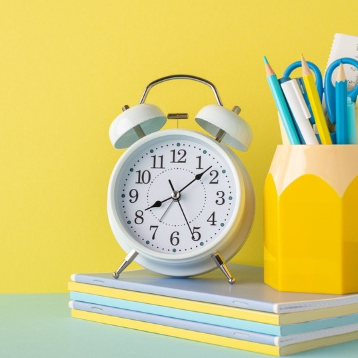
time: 8:07
